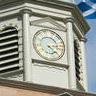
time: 4:14
